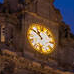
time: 10:50
